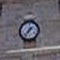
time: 1:36
